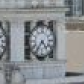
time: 4:35
